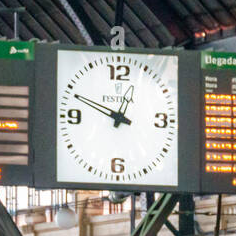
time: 12:49
